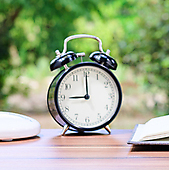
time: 9:00
